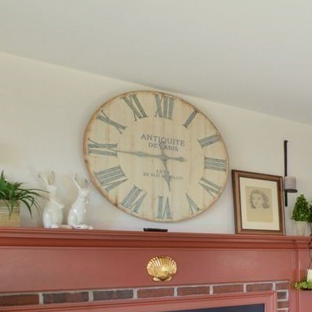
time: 5:45
